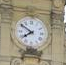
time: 7:50
